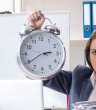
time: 2:39
